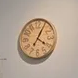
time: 4:04
